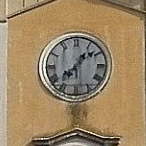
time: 1:08
